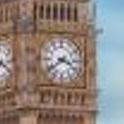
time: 3:39
